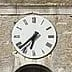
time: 6:37
